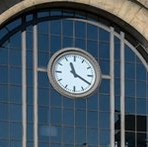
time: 11:19
